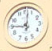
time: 9:01
